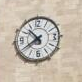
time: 10:39
